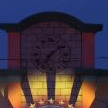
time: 7:08
